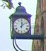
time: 12:08
